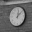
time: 12:07
